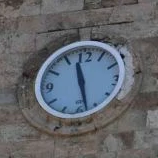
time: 11:27
